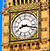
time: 8:17
